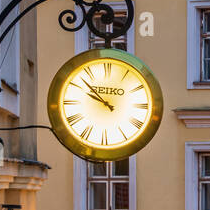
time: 9:52
